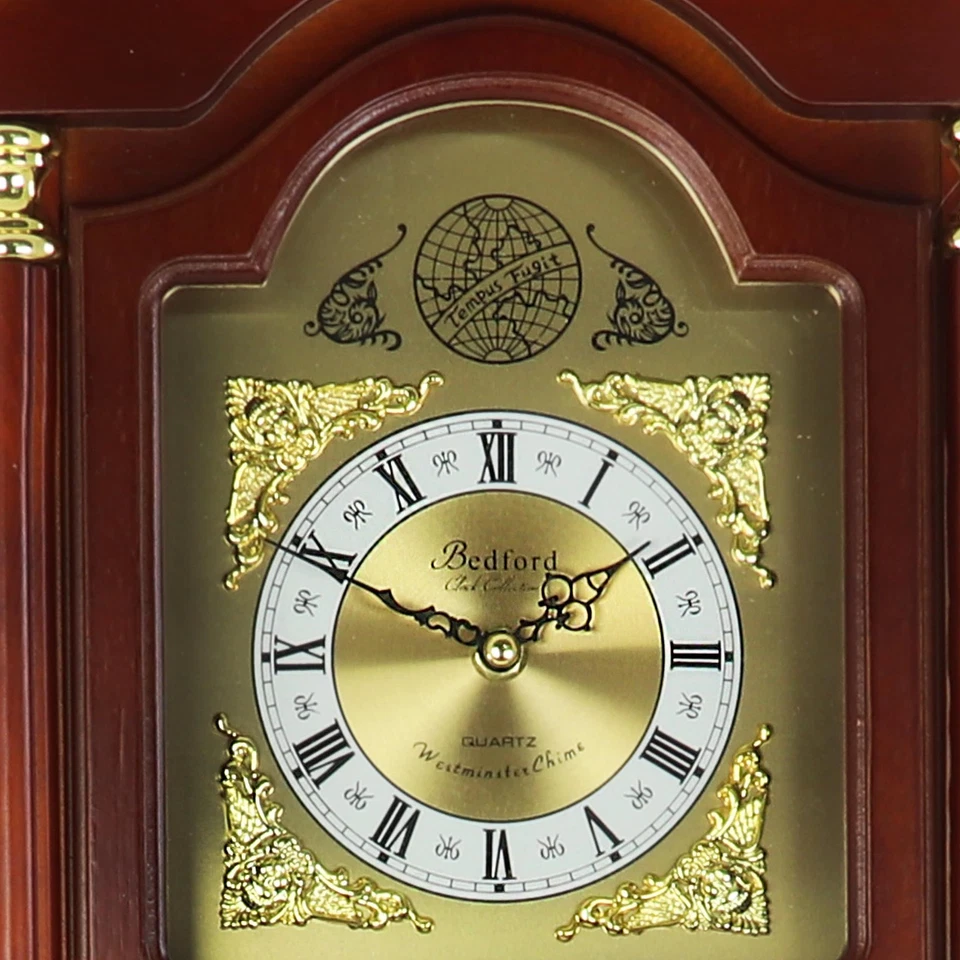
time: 1:49
